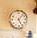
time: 5:06
